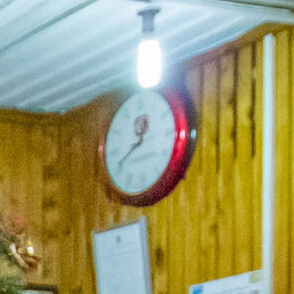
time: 12:40
